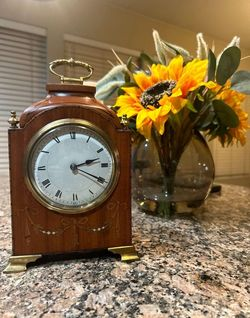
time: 2:18
